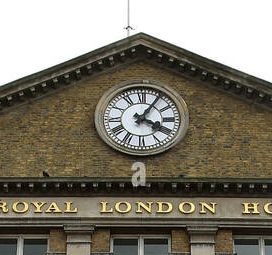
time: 4:05
